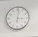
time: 3:01
